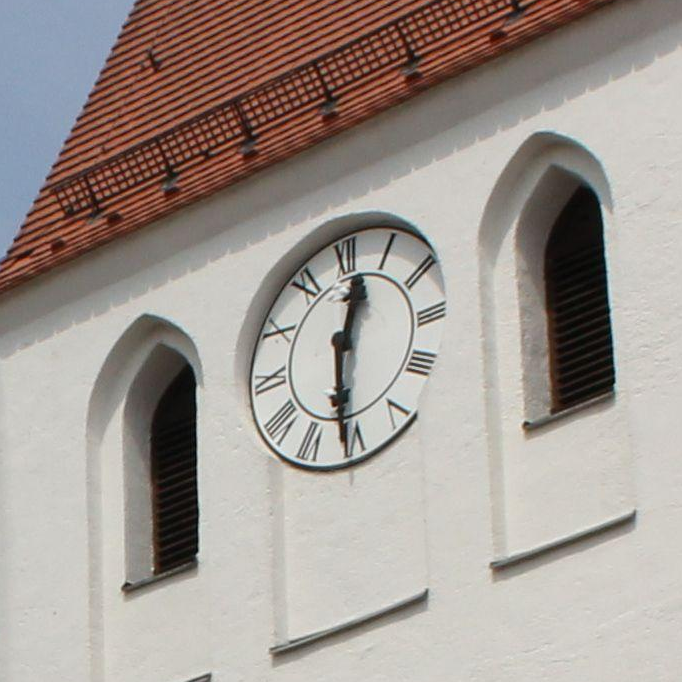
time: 12:30
